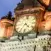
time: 4:35
